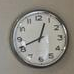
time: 12:41
